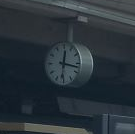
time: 12:17
